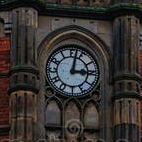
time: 3:02
